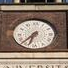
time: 6:37
